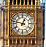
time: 12:47
